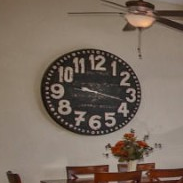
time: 9:17
